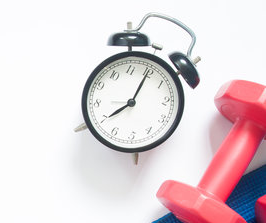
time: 8:05
